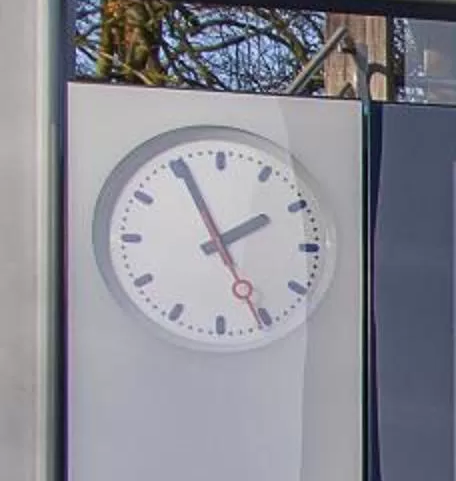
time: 1:55
